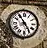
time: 4:54
